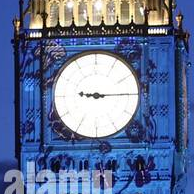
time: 9:14
